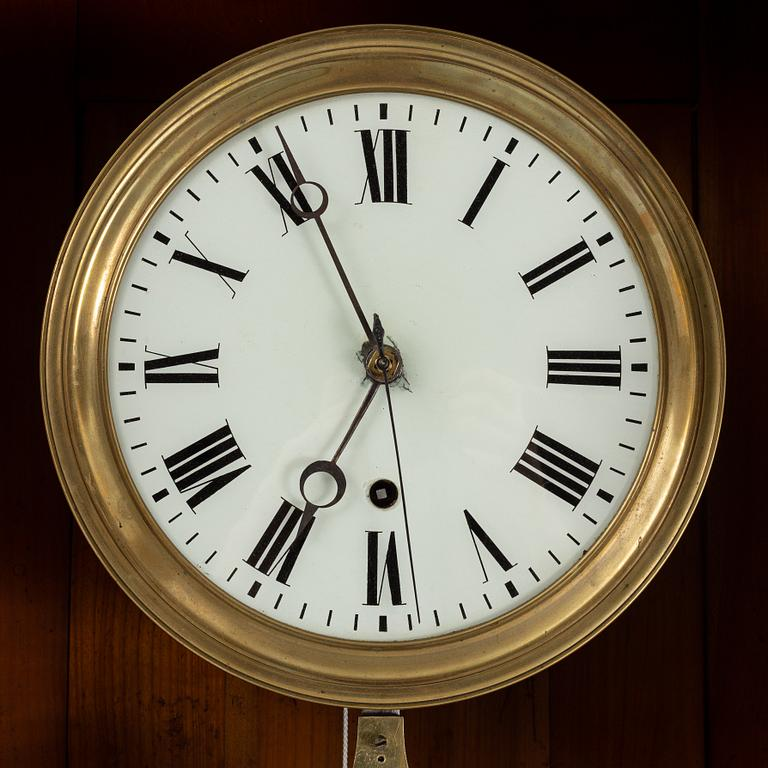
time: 6:55
